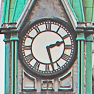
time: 2:27
